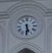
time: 5:30
